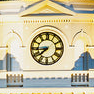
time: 7:43
